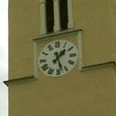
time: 1:27
